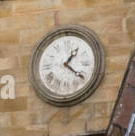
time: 1:20
